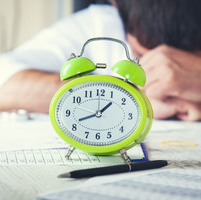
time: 1:41
